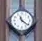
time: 11:21
